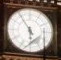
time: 5:54
